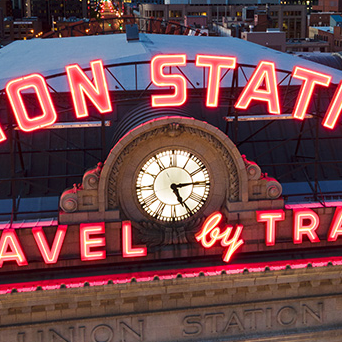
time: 5:14
